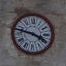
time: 3:47
